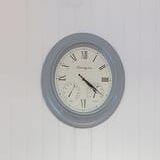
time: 4:20
